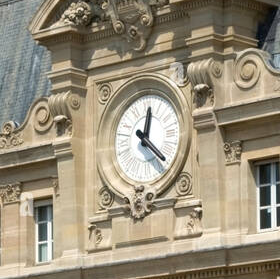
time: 12:21
